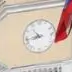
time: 10:43
